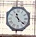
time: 11:21
